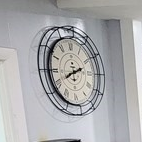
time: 8:11
